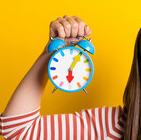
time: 6:05
